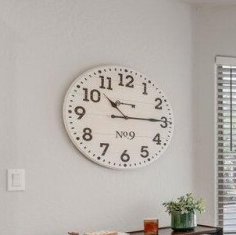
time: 10:14
